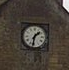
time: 1:31
